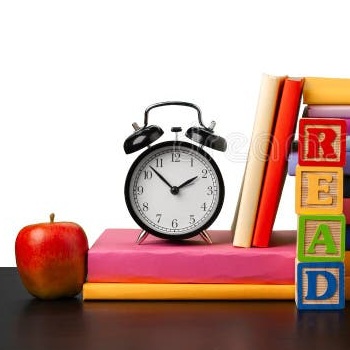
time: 1:52
